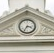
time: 3:35
